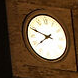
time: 7:48
